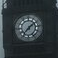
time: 1:36
